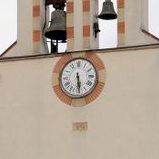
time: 5:28
